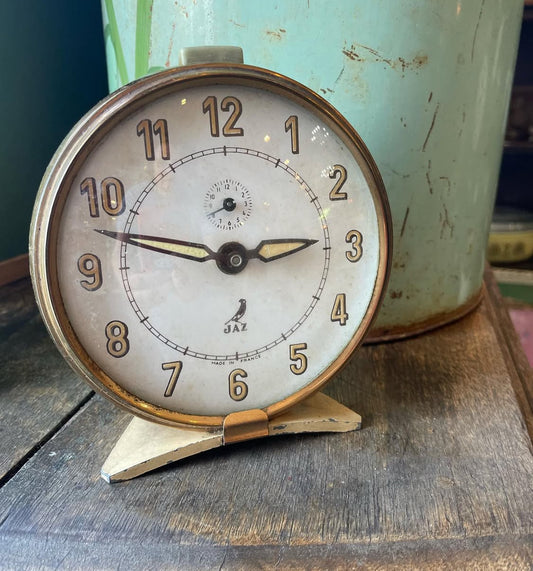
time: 2:47
